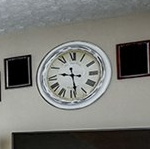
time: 9:28
